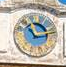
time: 11:13
